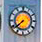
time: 7:38
